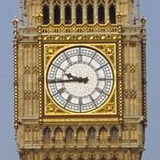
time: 9:44
